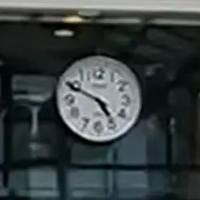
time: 4:49
